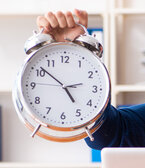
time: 4:51
